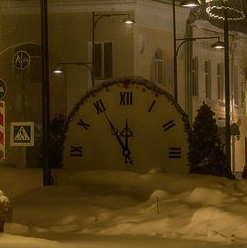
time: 11:54
